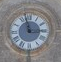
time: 2:58
